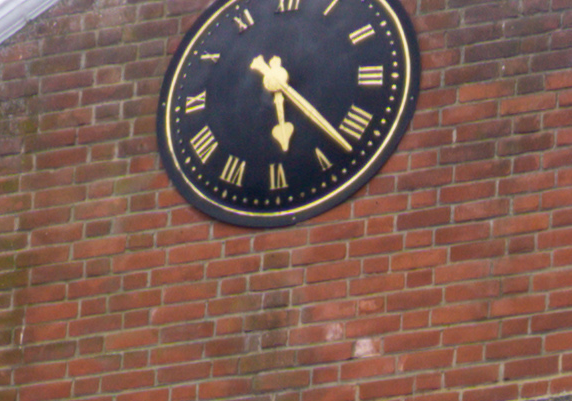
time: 5:22
